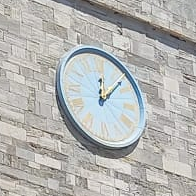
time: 12:07
